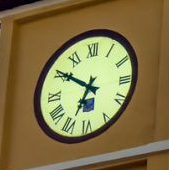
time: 6:50
